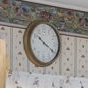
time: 10:20
